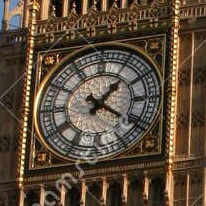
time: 1:20
